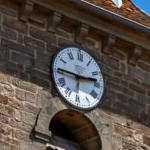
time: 2:45
